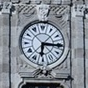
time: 6:15
